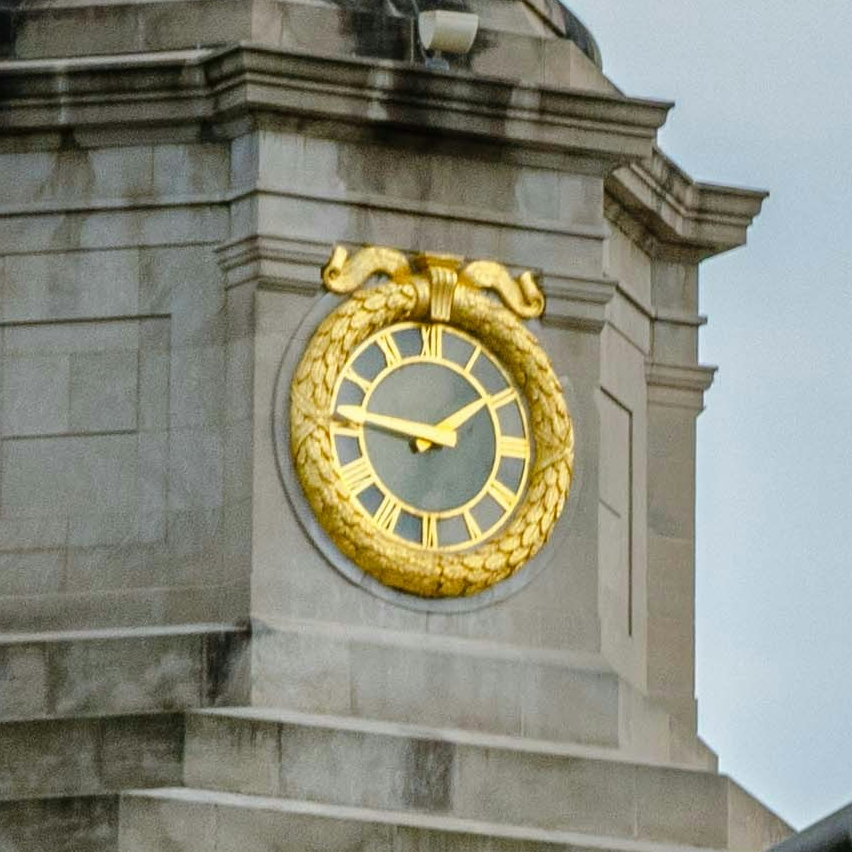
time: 1:46
